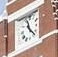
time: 11:22
